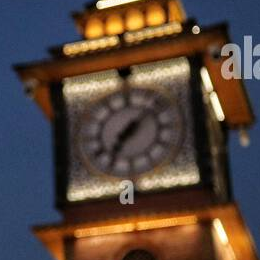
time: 7:08
